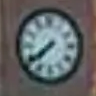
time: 7:39
